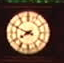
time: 7:48
